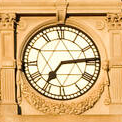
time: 7:14
